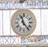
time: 11:23
